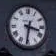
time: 3:31
